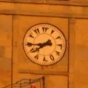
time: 7:43
